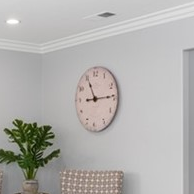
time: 11:14
